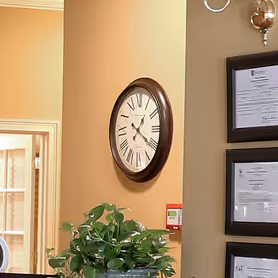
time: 1:20
